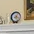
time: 8:27
